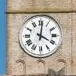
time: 4:01
